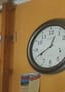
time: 12:40
